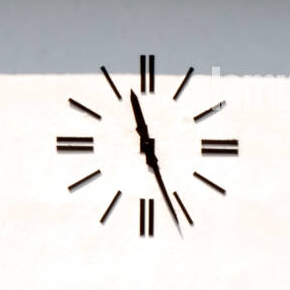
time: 11:26
